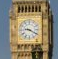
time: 9:20
